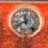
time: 11:40
